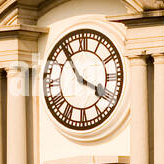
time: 3:54
